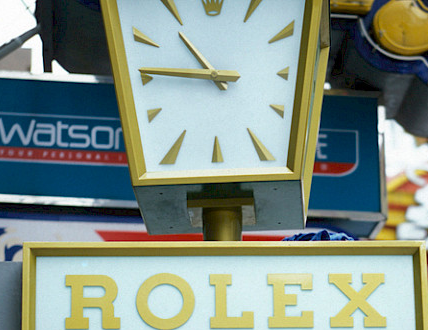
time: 10:45
